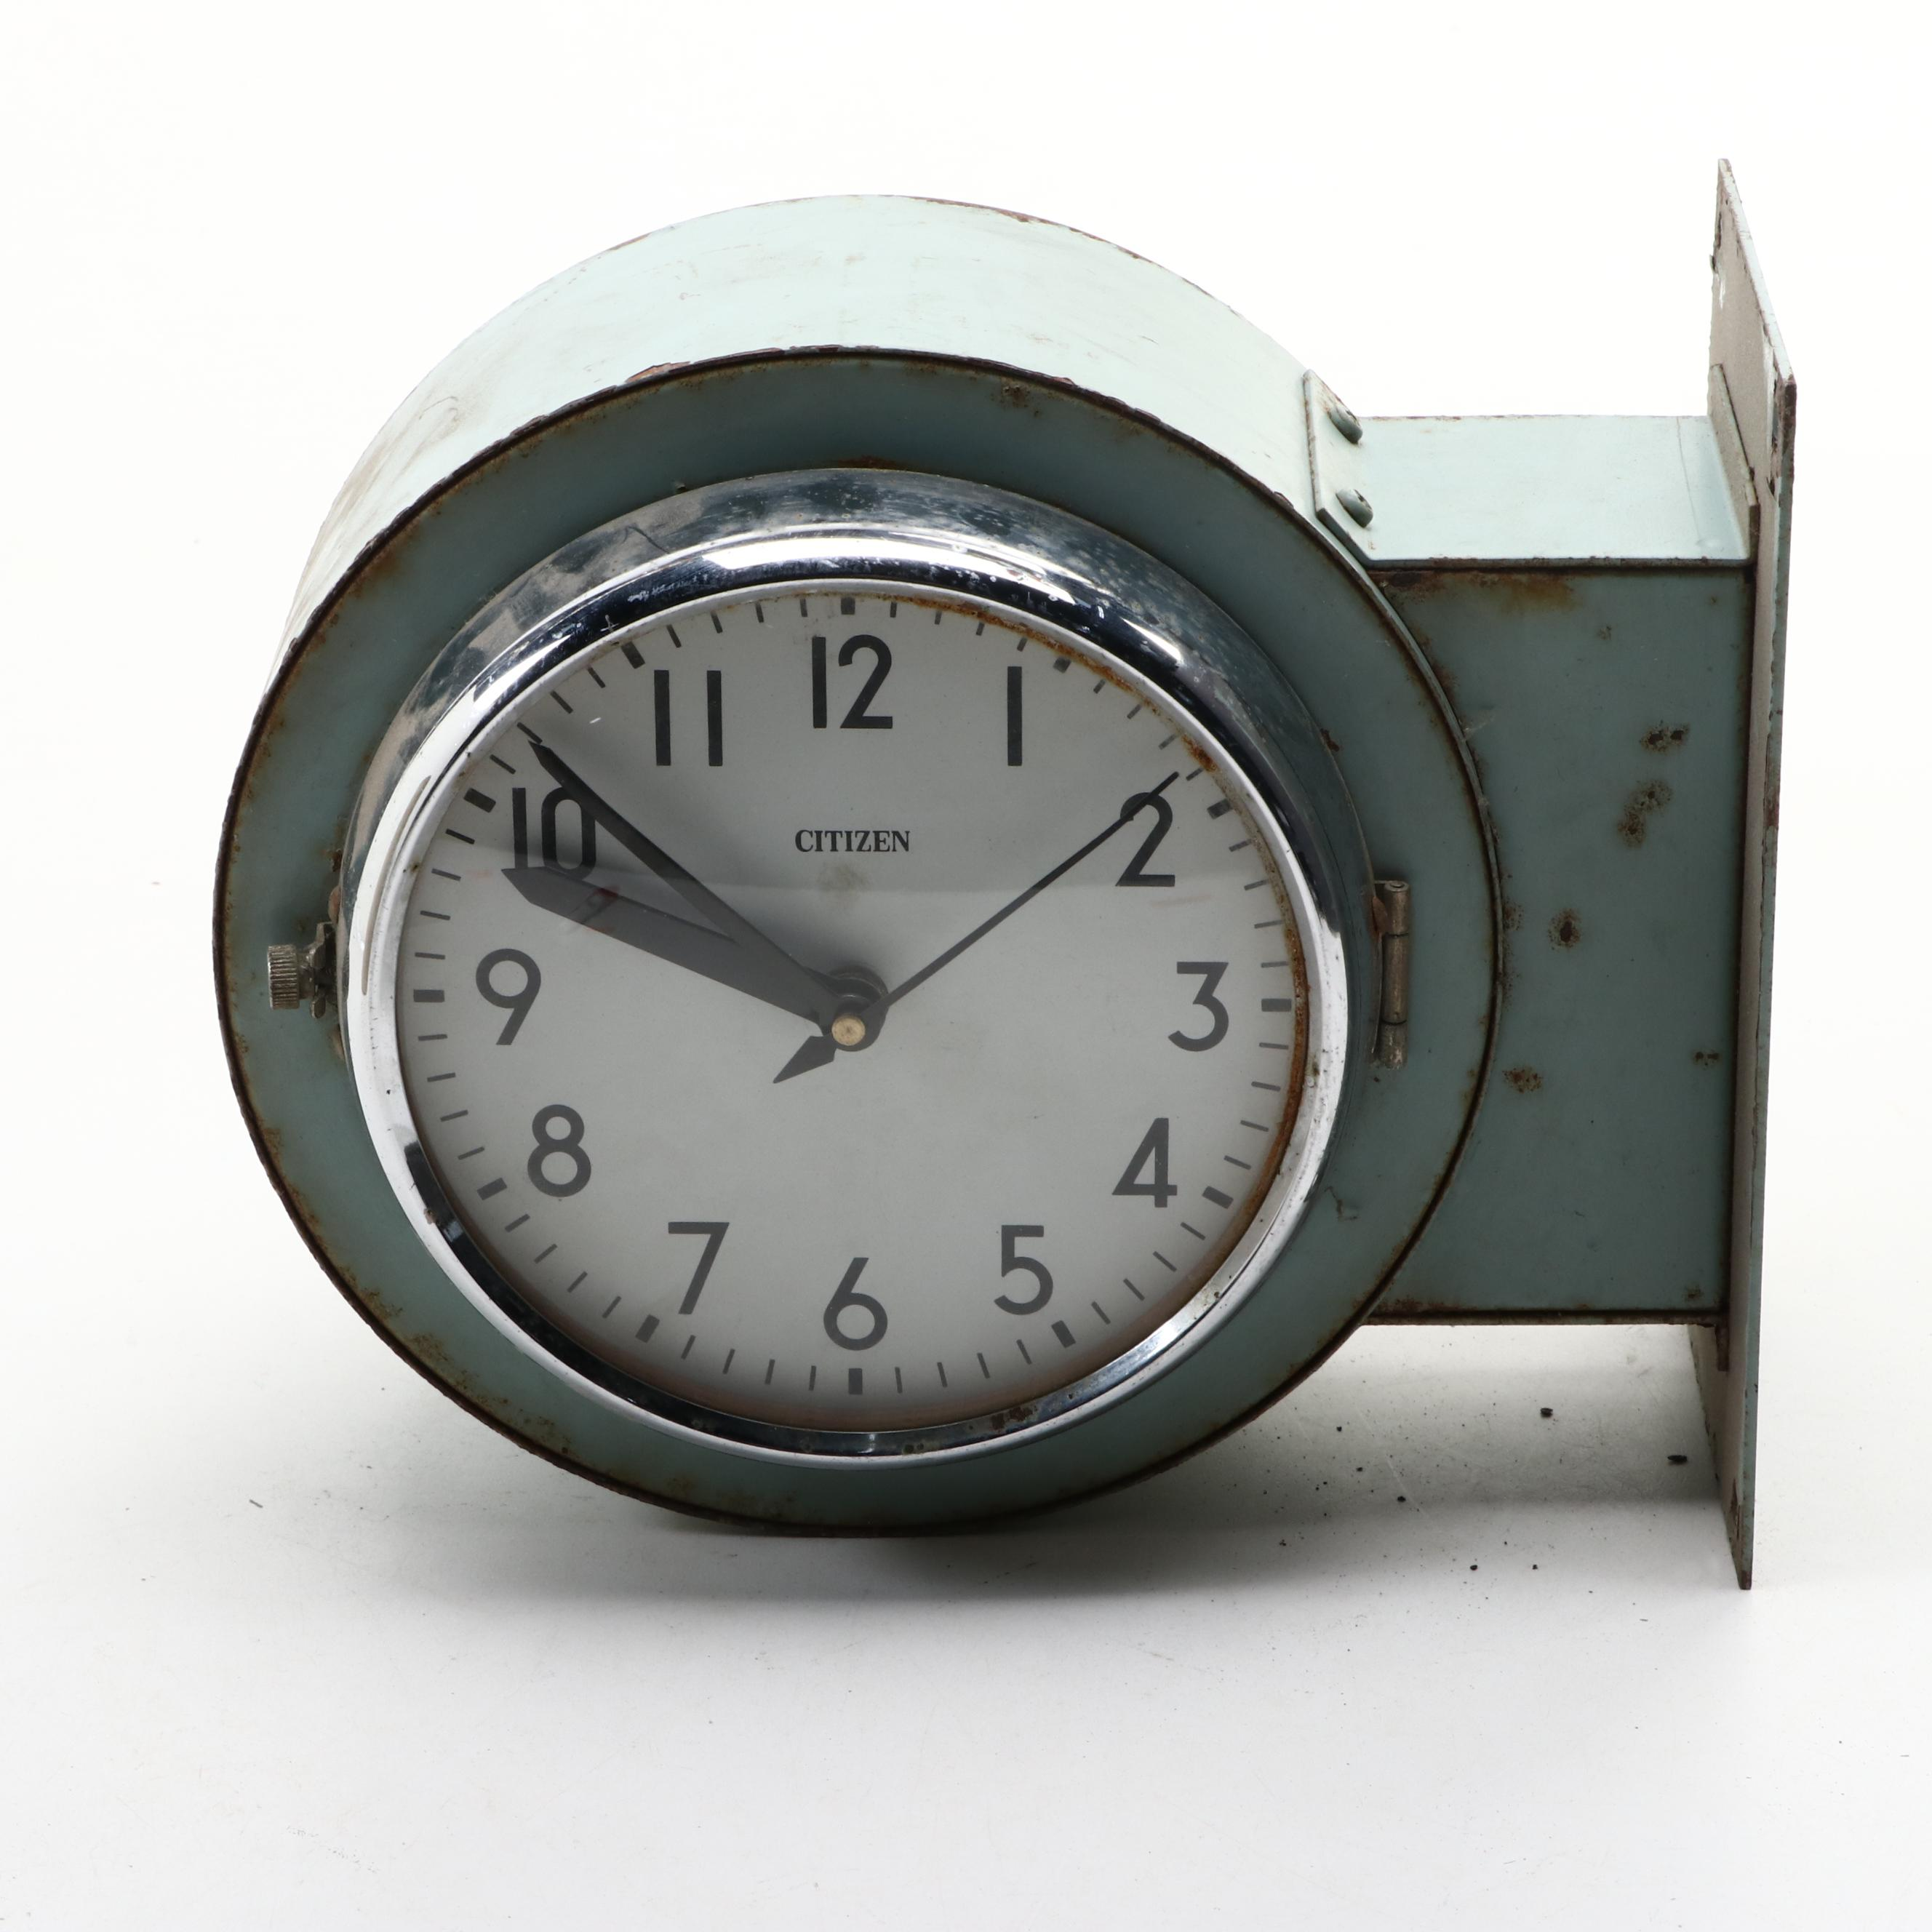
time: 9:51
